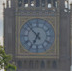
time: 6:52
